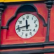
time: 11:42
